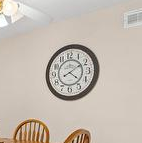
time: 4:10
